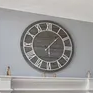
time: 1:14
